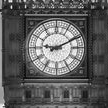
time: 9:10
